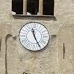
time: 11:25
